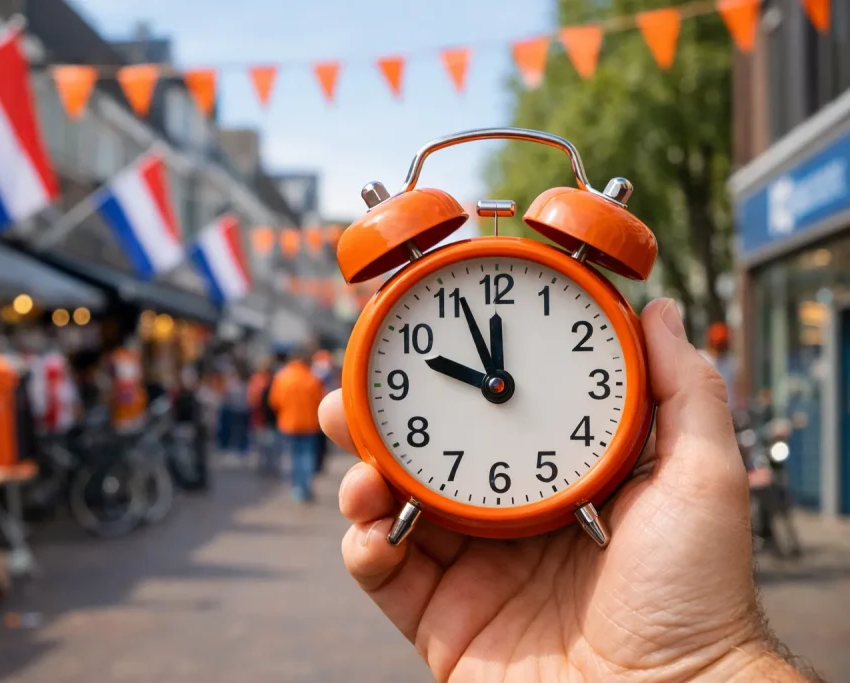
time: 9:56
